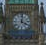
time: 4:01
